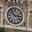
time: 2:53
